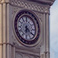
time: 6:20
